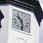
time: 10:28
